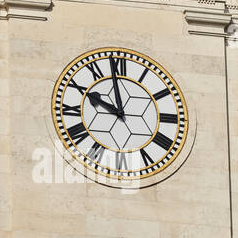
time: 9:58
